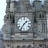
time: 1:36
